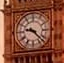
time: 9:22
